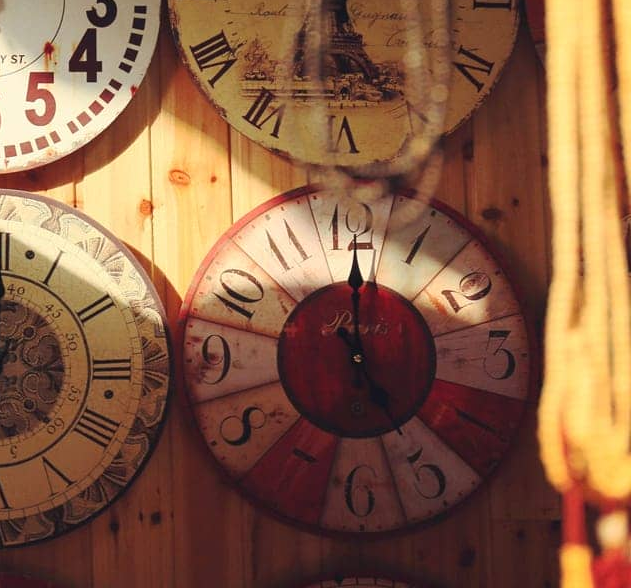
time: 5:00
